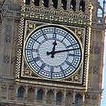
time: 12:12
